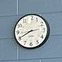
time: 2:40
